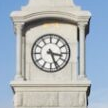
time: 3:26
